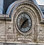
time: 1:36
